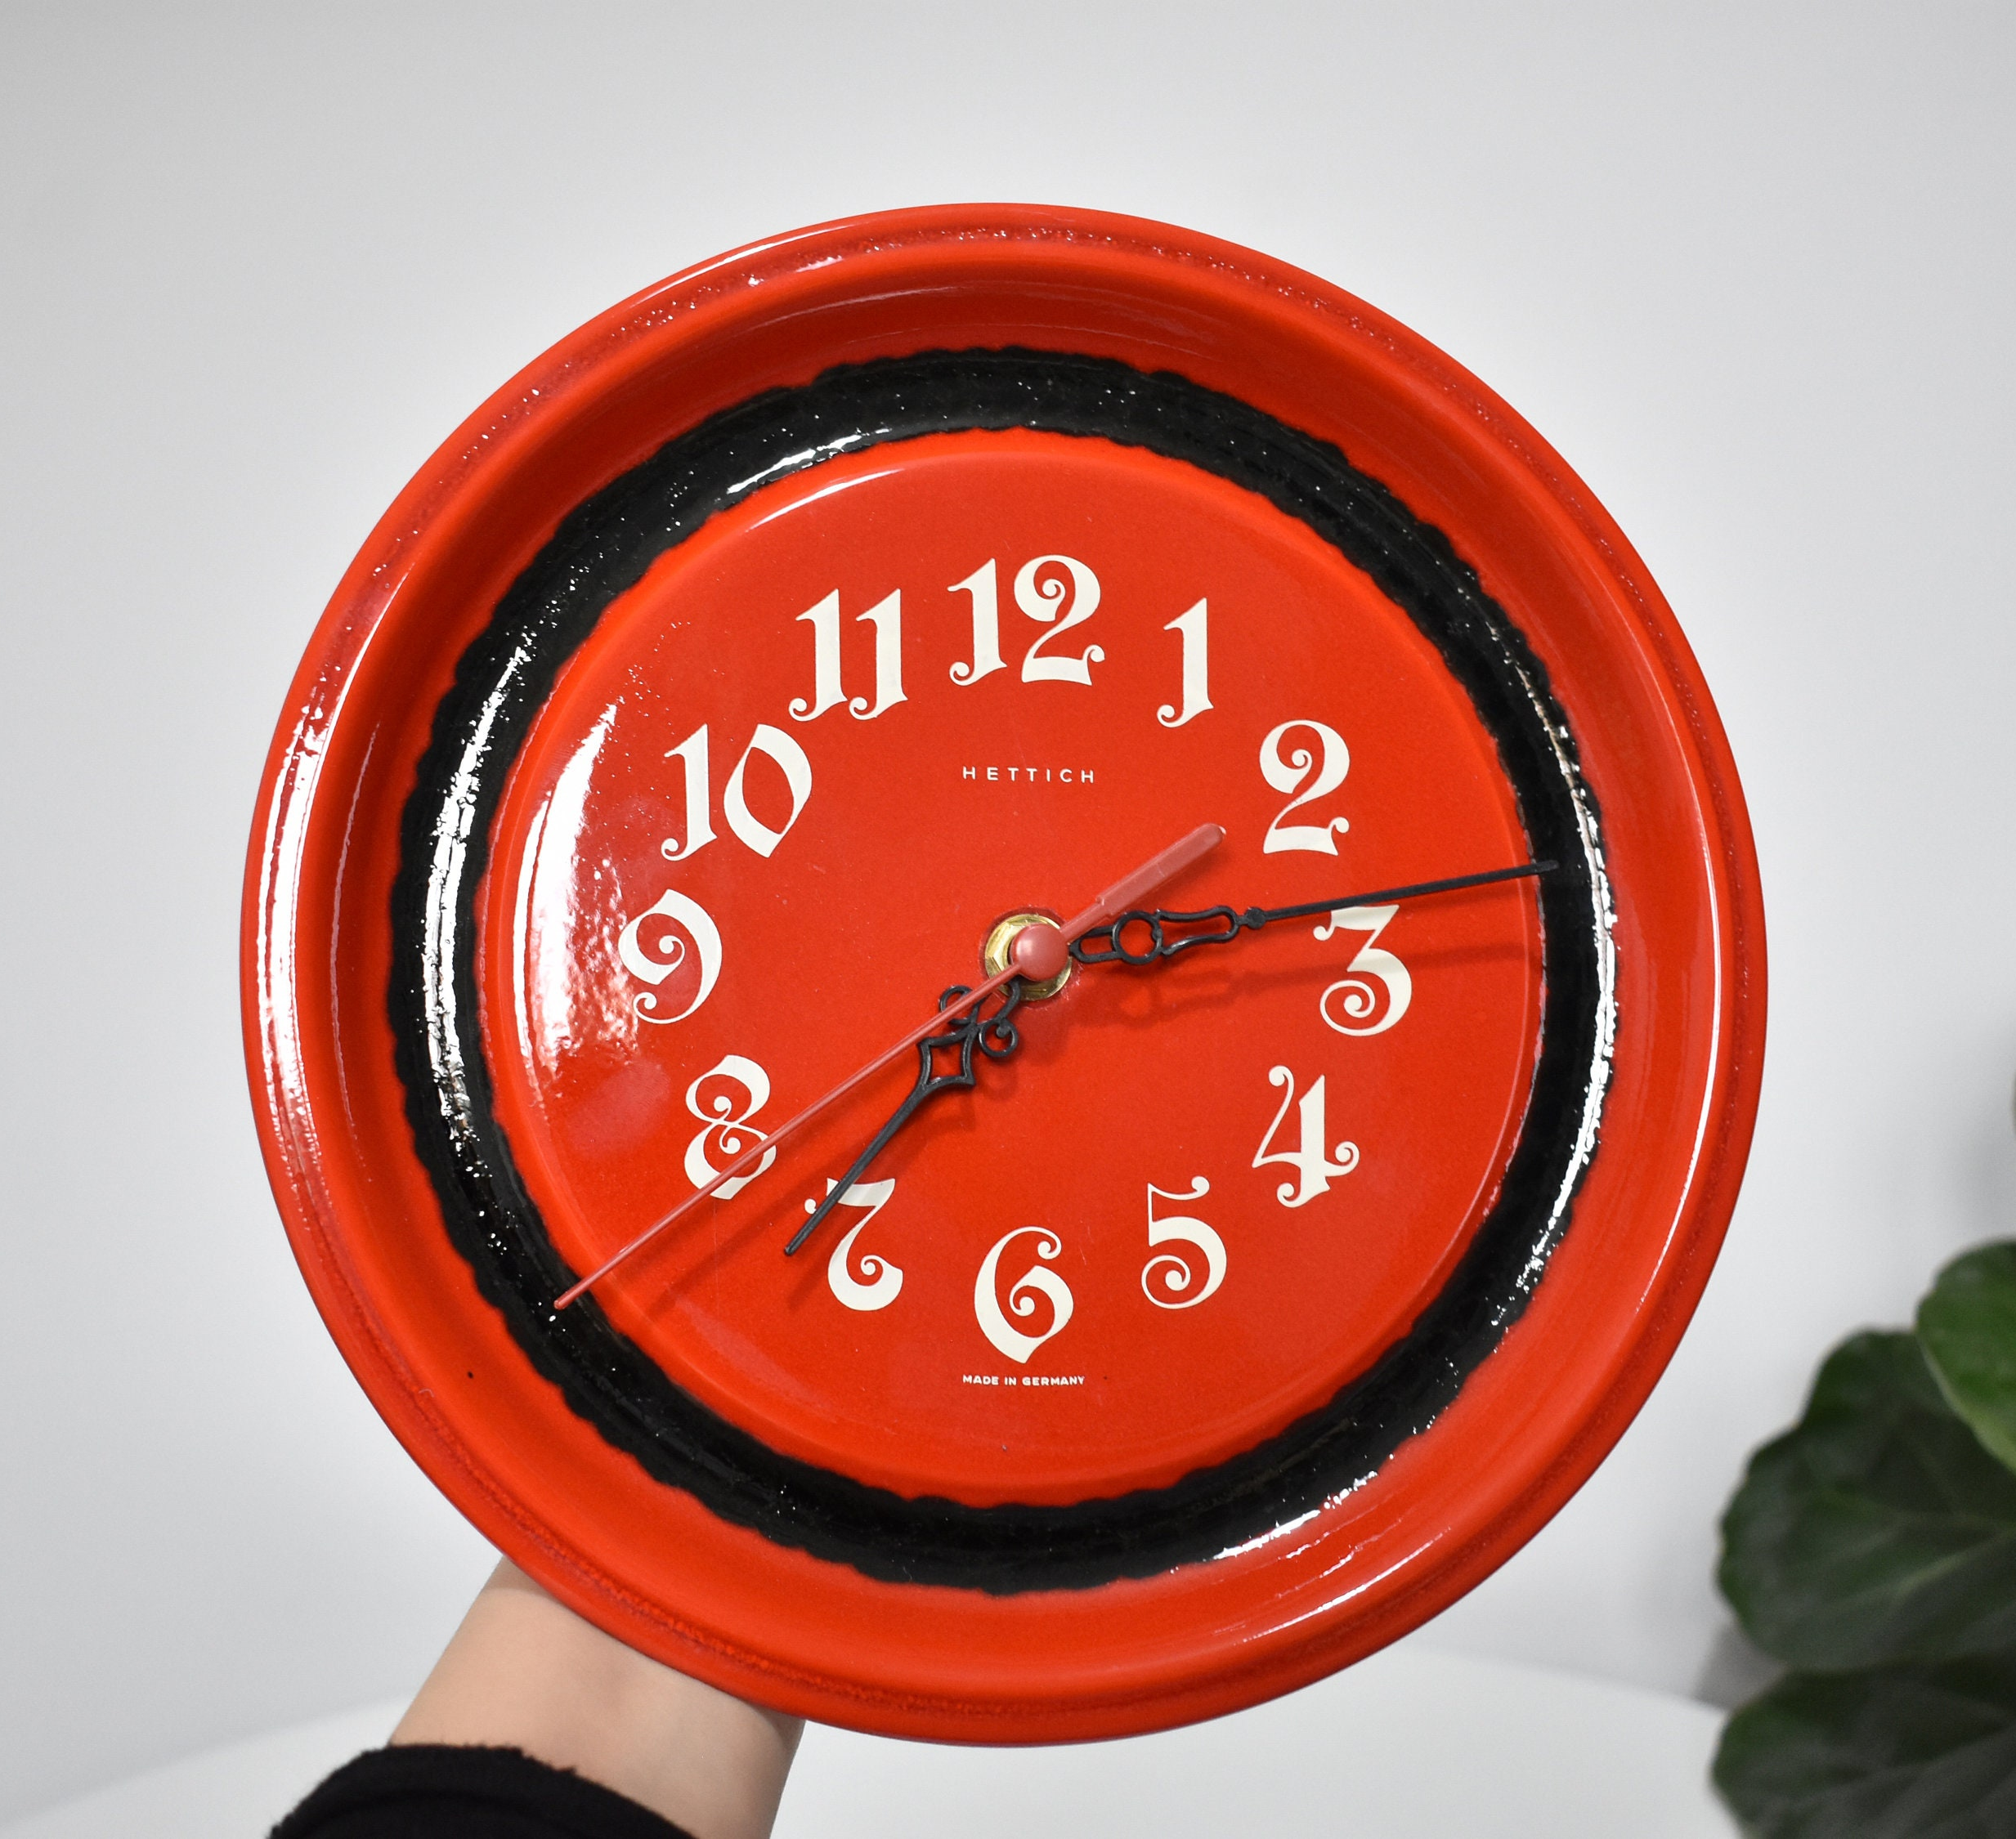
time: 7:13
